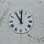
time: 11:00
